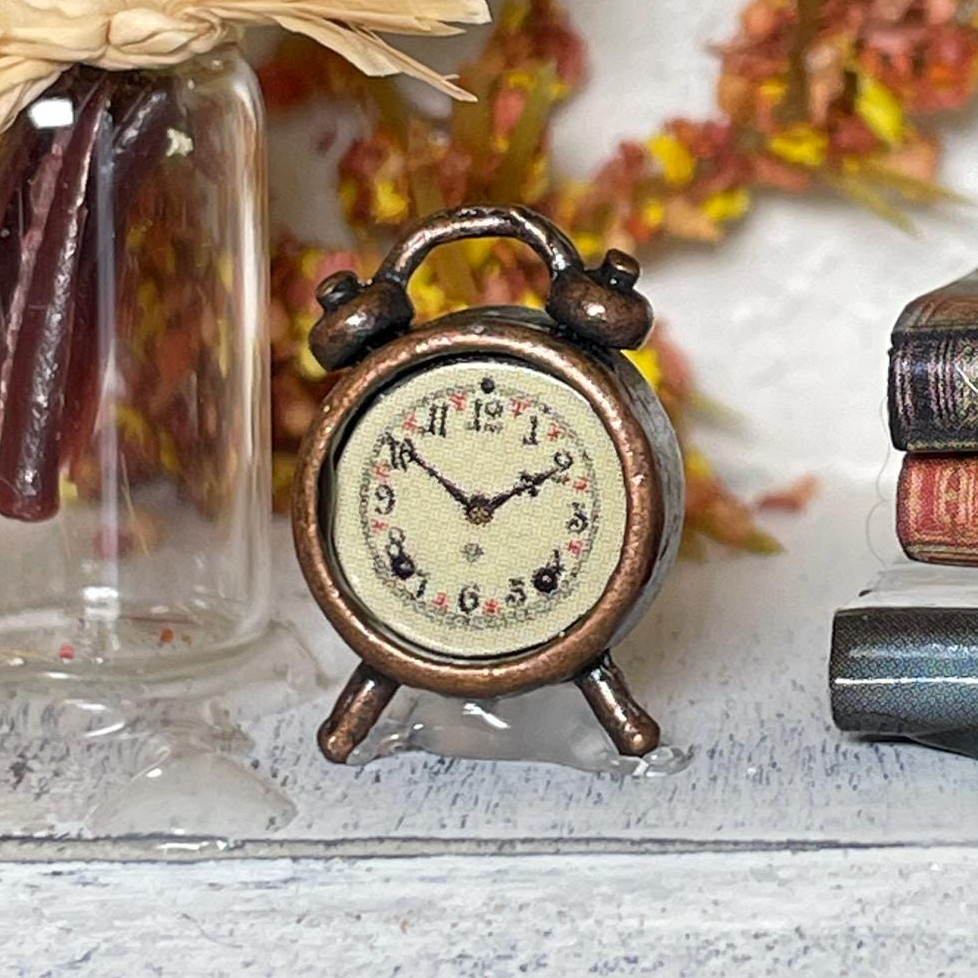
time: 1:51
